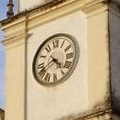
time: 4:40
